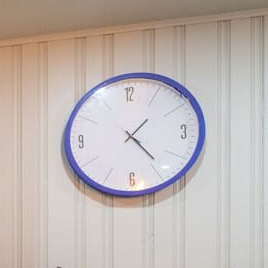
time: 1:24
